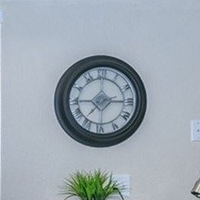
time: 7:14
